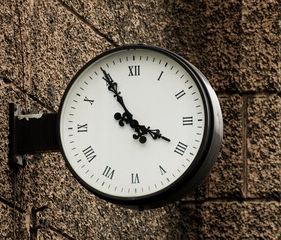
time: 3:55
